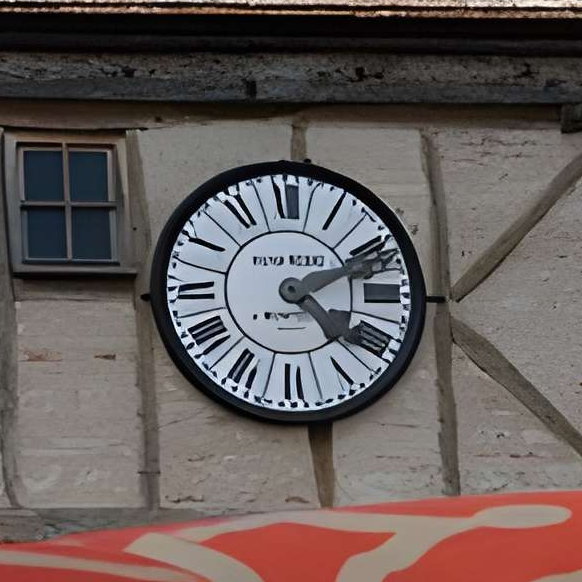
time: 4:10
